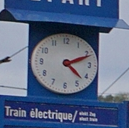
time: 4:11
